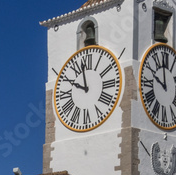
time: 9:57
